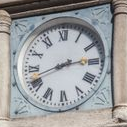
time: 2:42
